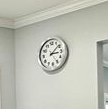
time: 3:08
